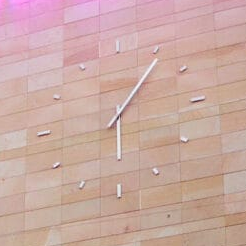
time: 6:06
